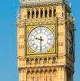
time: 9:31
